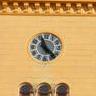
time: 11:22
